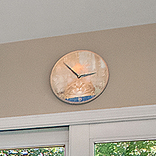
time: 2:53
